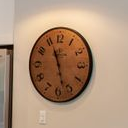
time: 11:27
